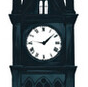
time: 1:46
